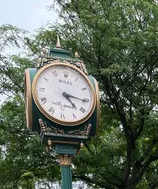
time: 4:15
